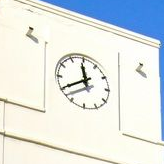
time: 11:40
